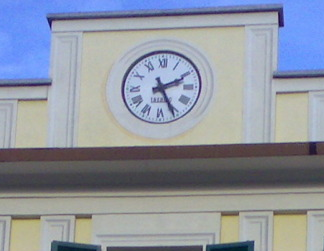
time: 2:25
